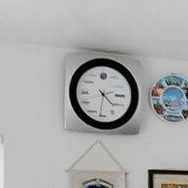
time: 4:14
